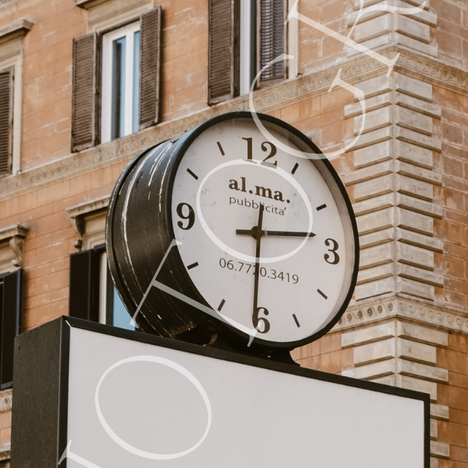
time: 2:30
